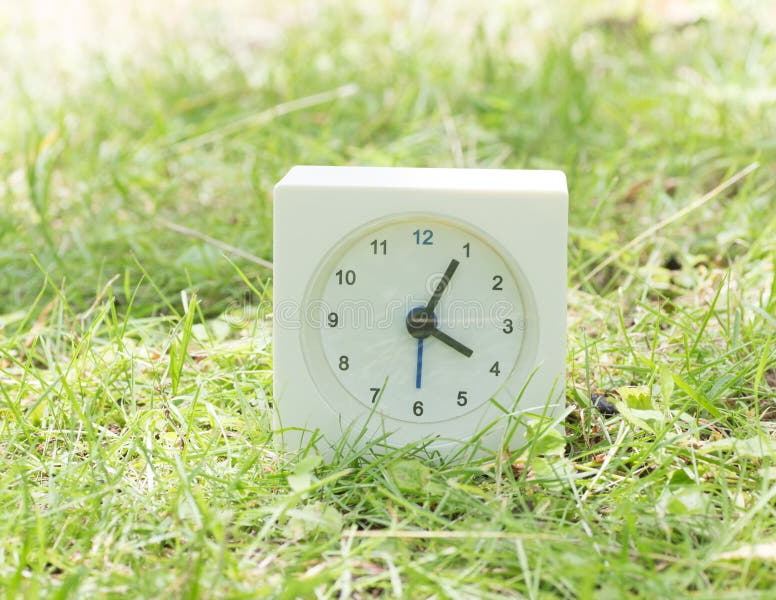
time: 4:04
